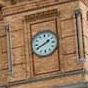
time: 1:40
